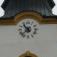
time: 10:37
